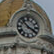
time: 3:52
